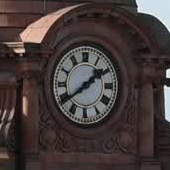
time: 1:39
